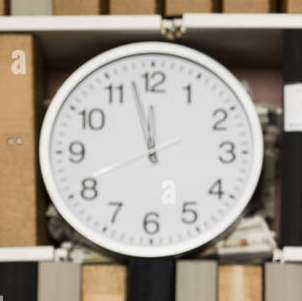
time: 11:57
